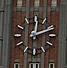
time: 12:11
